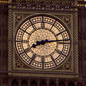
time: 8:13
